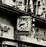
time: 8:40
